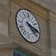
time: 4:16
